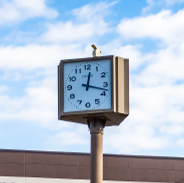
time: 12:17
